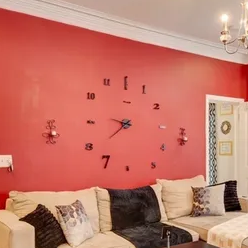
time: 7:46
